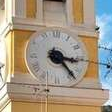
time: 3:23
